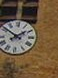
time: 1:50
